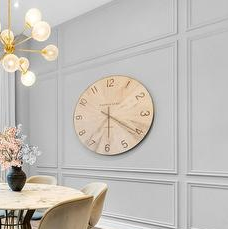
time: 7:20
